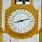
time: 8:11
